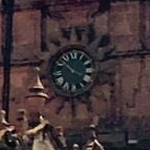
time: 3:52
